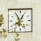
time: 12:55
